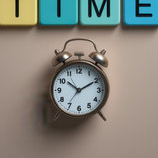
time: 10:10
